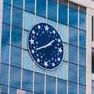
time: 1:41
